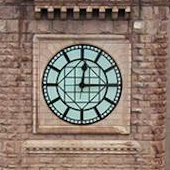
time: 12:14
